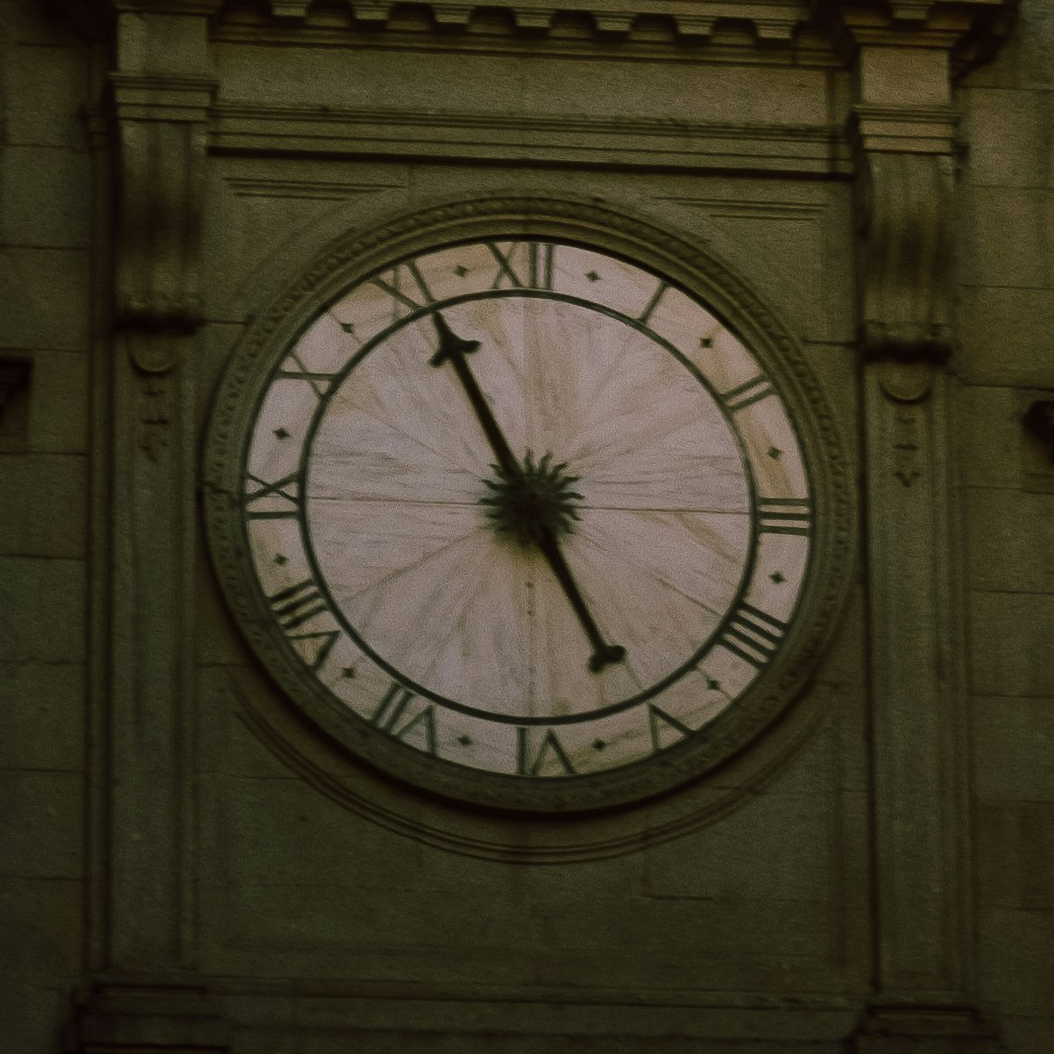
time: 4:55
